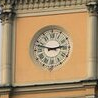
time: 2:48
